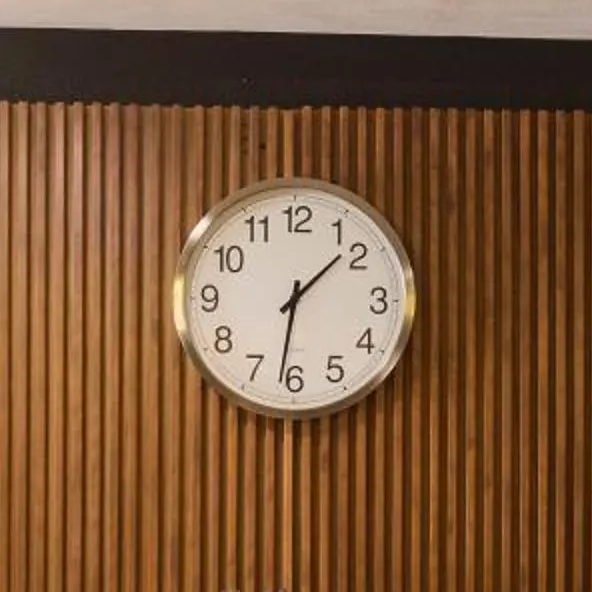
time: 1:31
